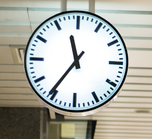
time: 11:35
